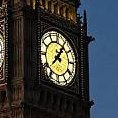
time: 1:05
